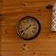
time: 1:39
